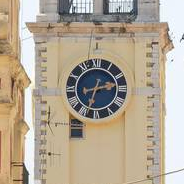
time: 2:33
